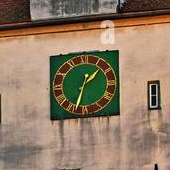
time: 1:33
